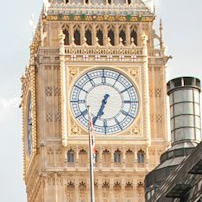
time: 6:34
